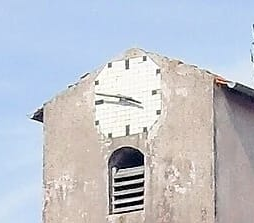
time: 3:47
